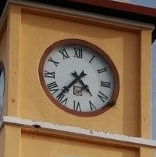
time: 4:36
